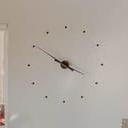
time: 3:50
